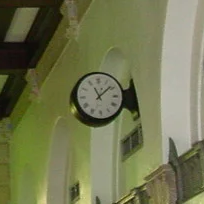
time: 11:08
